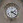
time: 2:21
